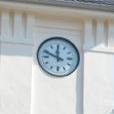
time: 11:49
